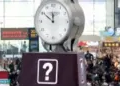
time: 11:50
